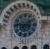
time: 1:46
